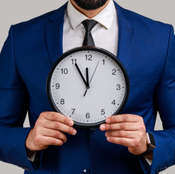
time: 11:54
